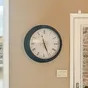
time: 11:25
